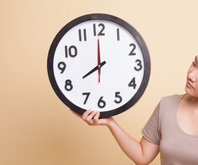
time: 7:59
